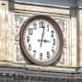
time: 3:02
